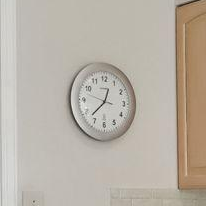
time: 12:37
